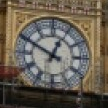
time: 12:49
